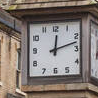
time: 12:12
